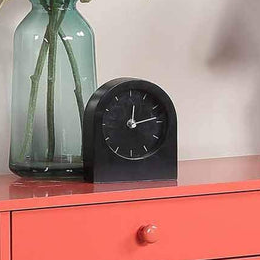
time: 12:13
